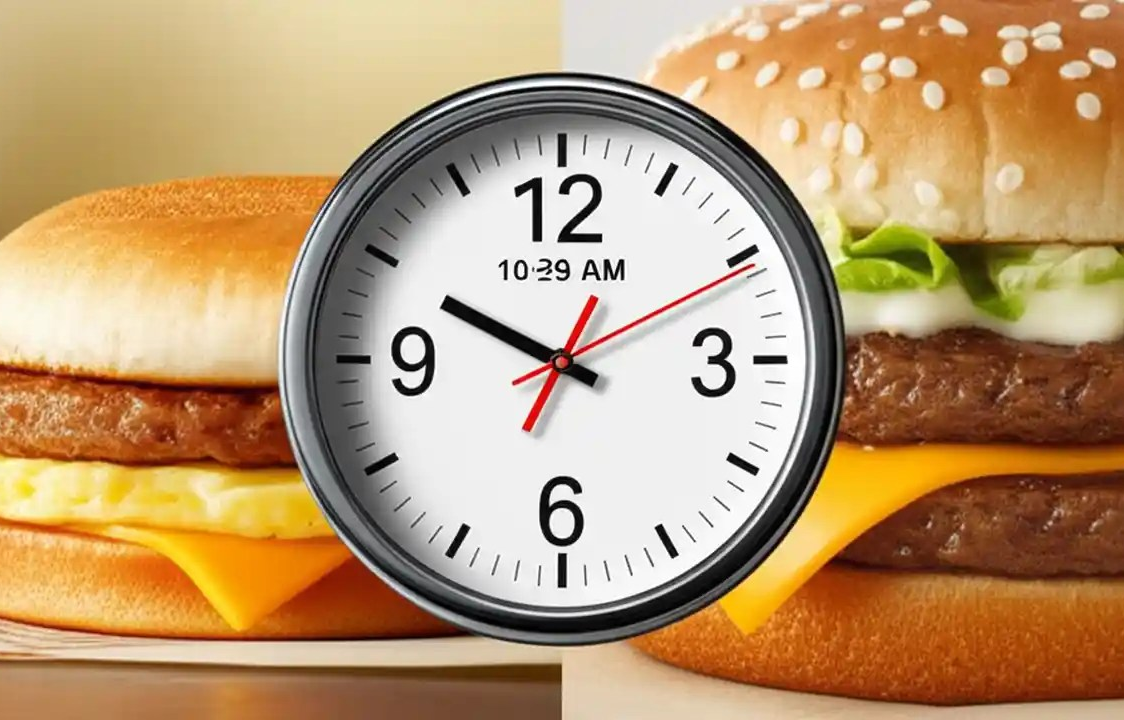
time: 9:49
